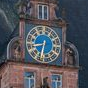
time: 8:32
